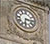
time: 6:15
